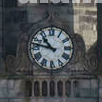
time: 10:47
